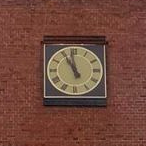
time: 10:58
